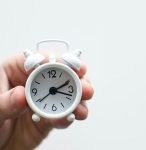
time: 2:18
